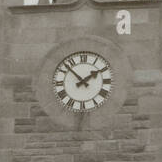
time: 1:52
